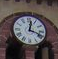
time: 12:18
